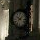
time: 10:07
